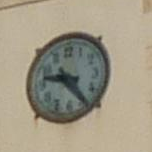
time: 9:24
